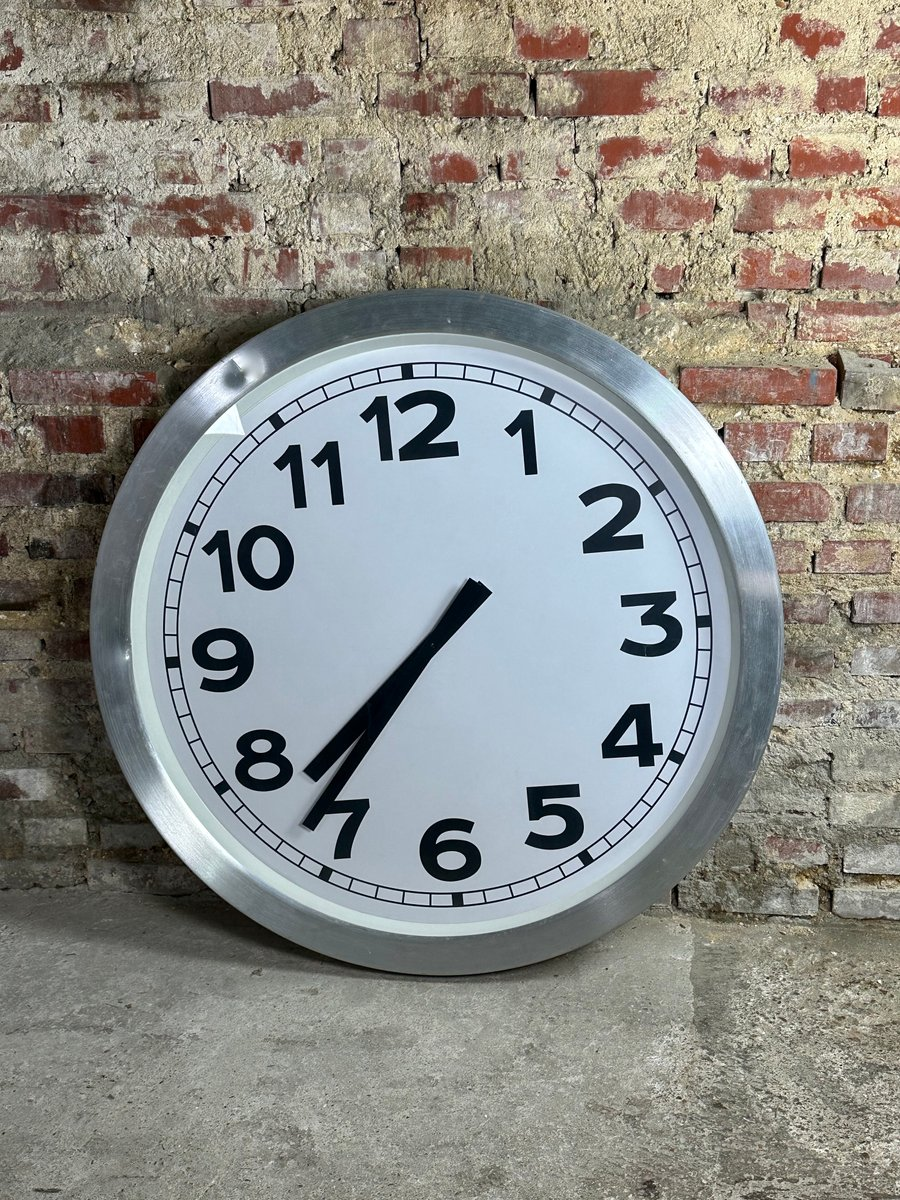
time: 7:36
